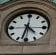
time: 4:32
